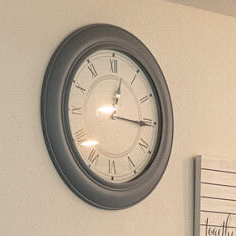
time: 12:15
